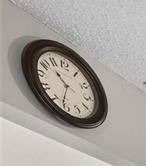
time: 10:32
